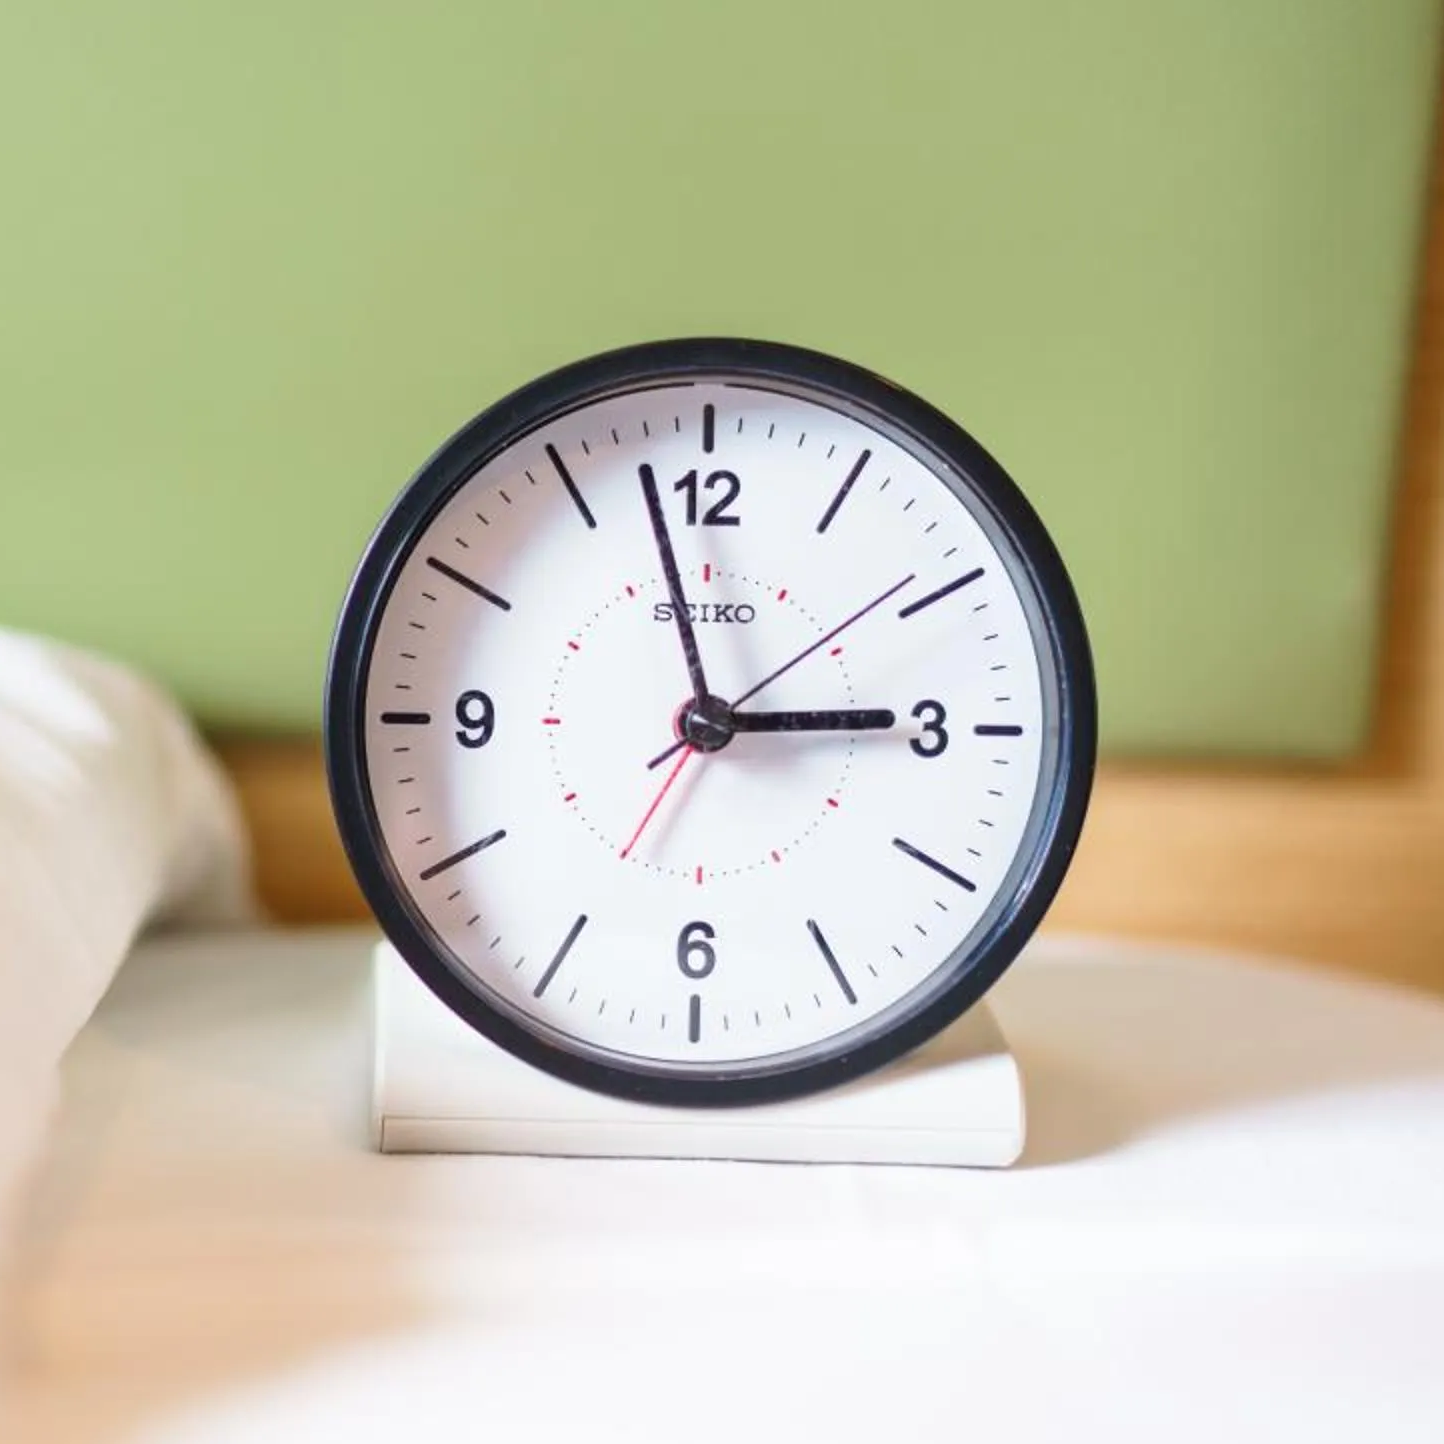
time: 2:57
